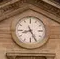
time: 8:25
